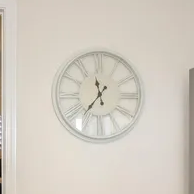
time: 11:36
